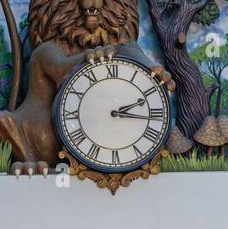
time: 2:16
